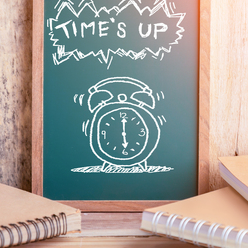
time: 6:00
